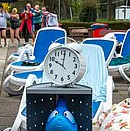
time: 10:01
